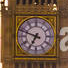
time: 6:48
